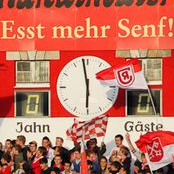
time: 5:58
